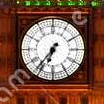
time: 6:36
